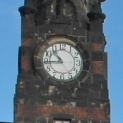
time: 10:44
